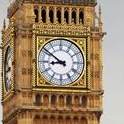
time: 8:50
